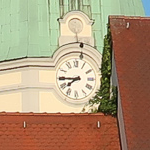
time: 7:44
